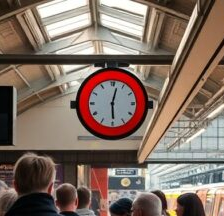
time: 12:29
